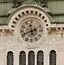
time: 11:41
